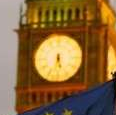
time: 5:32
